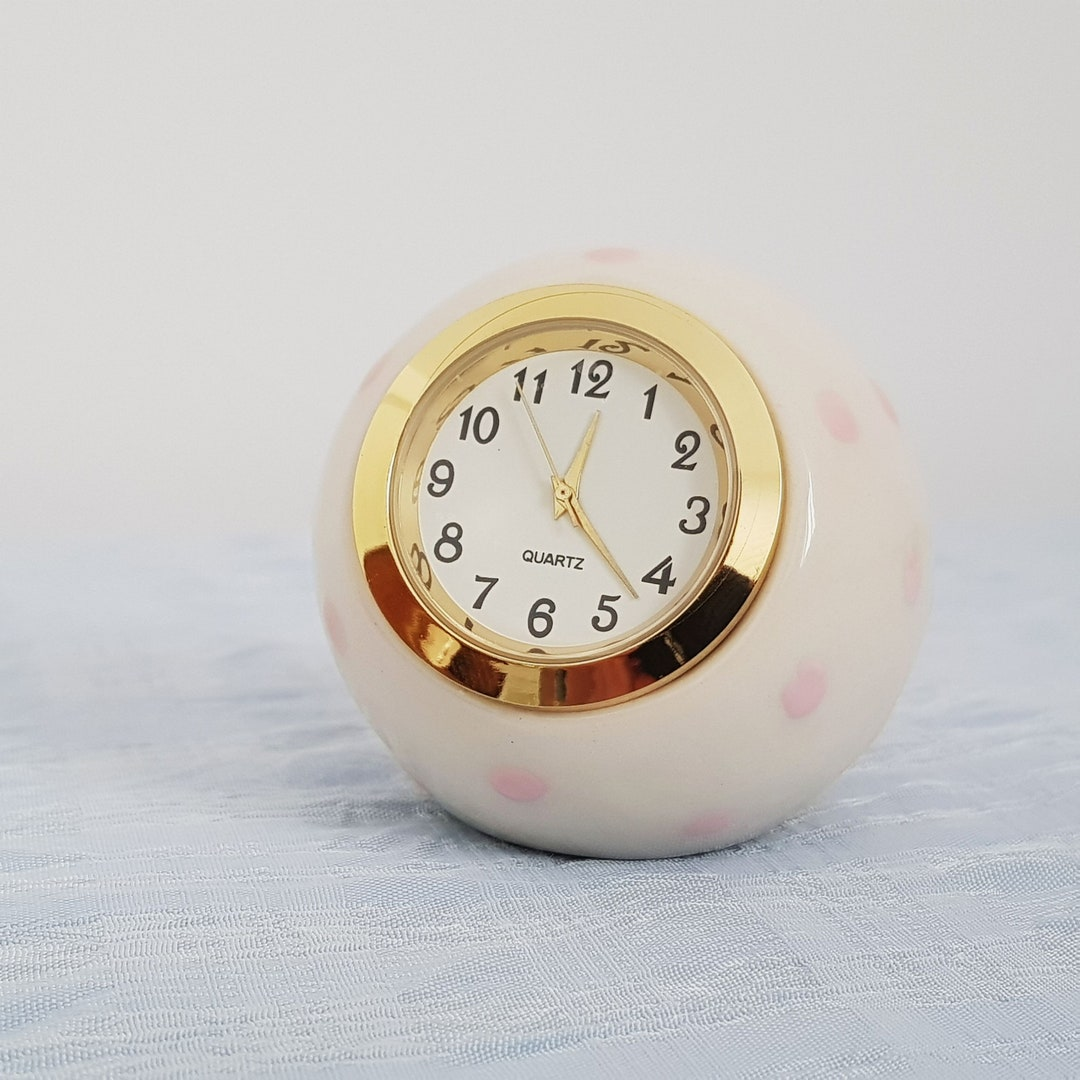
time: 12:22
